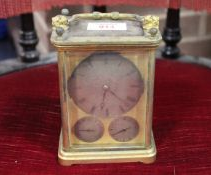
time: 6:21
